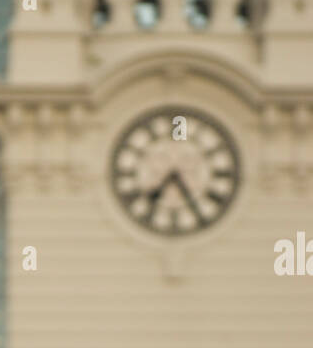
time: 7:24
